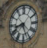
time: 8:26
